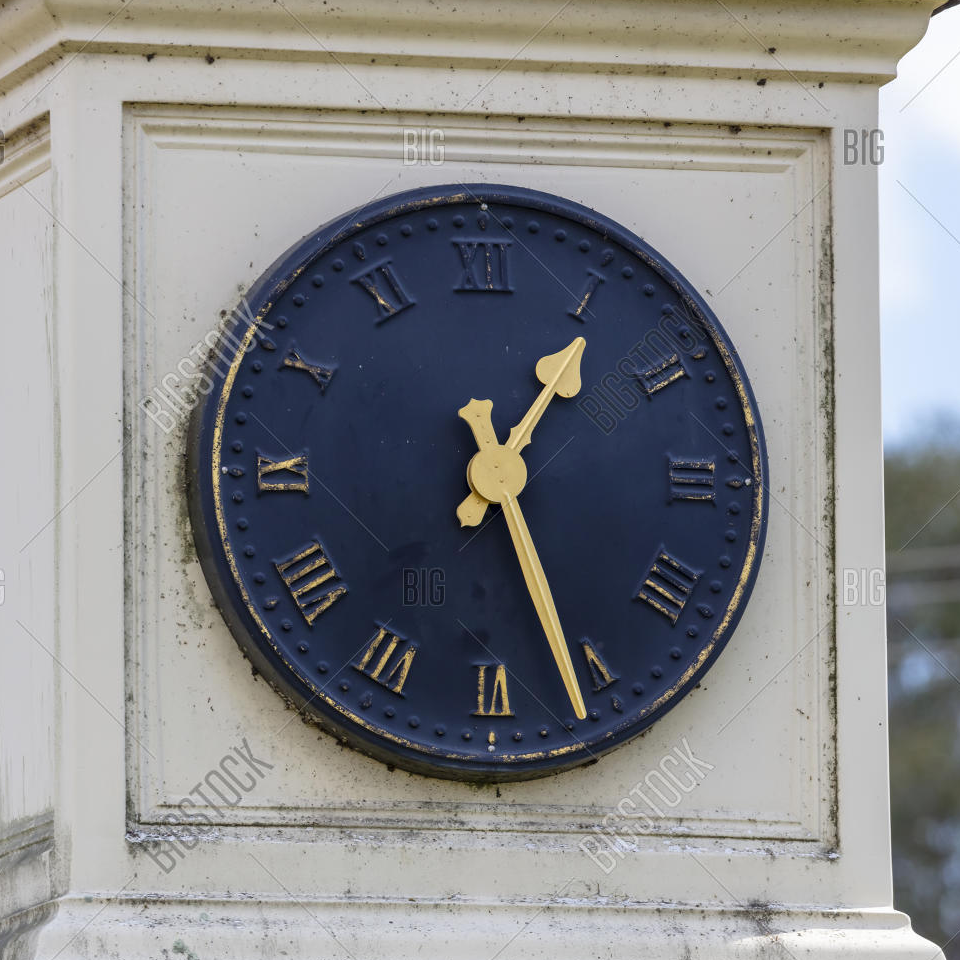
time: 1:26
